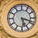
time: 5:18
